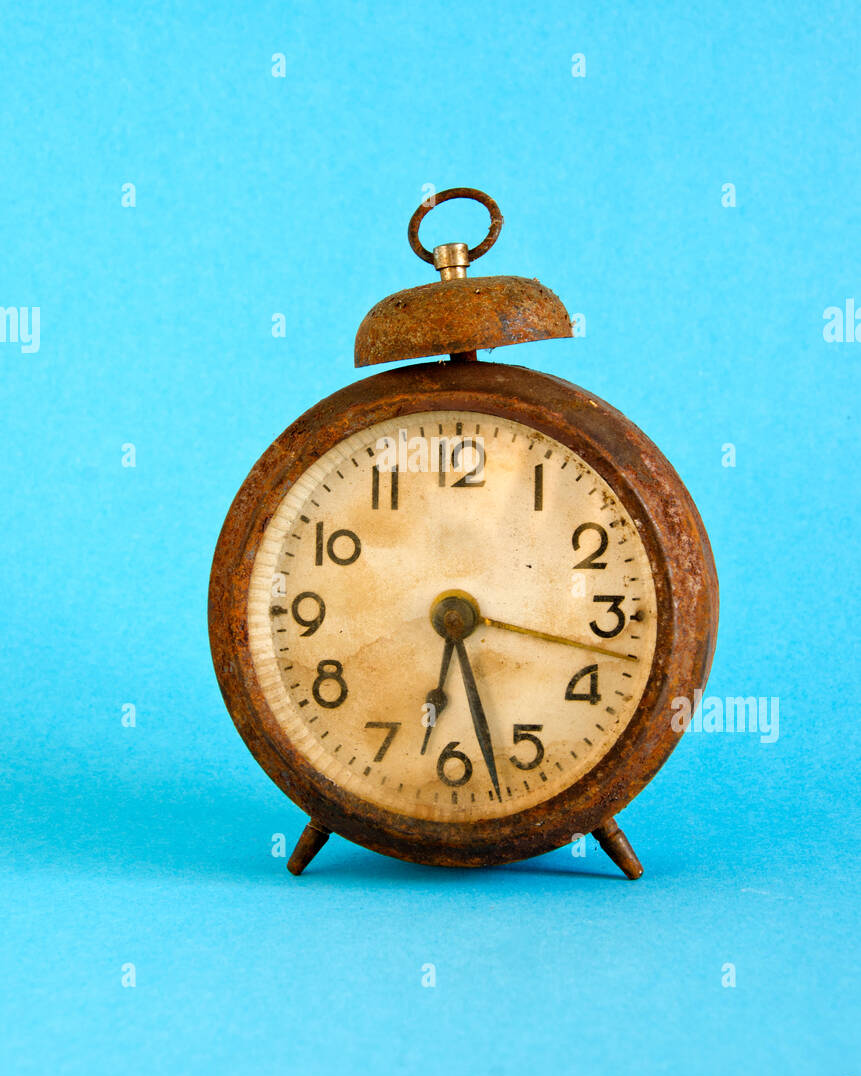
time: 6:27
